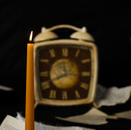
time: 11:41
